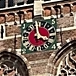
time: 3:58
